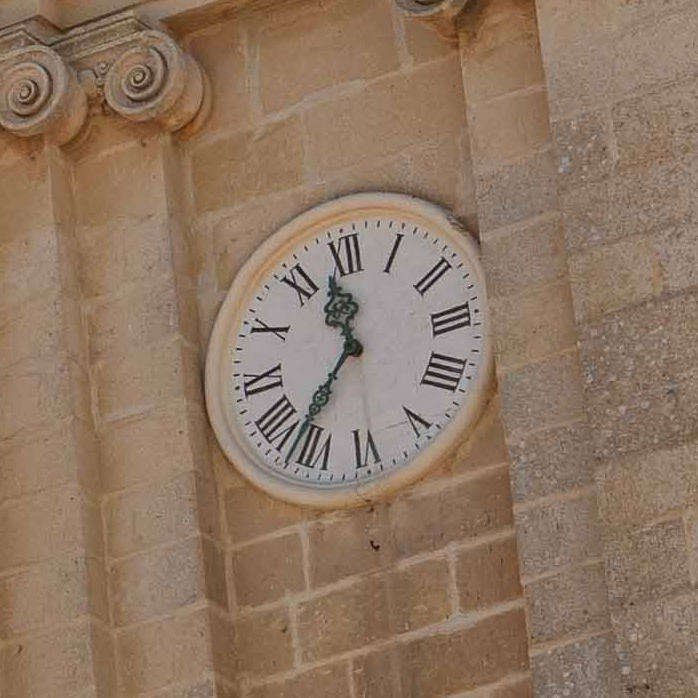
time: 11:36
